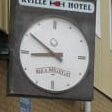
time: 8:51
